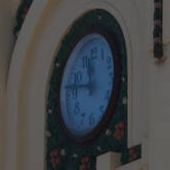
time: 11:46
